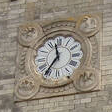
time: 11:35
